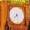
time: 7:27
